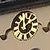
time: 12:07
